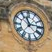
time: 11:13
